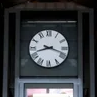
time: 8:18
